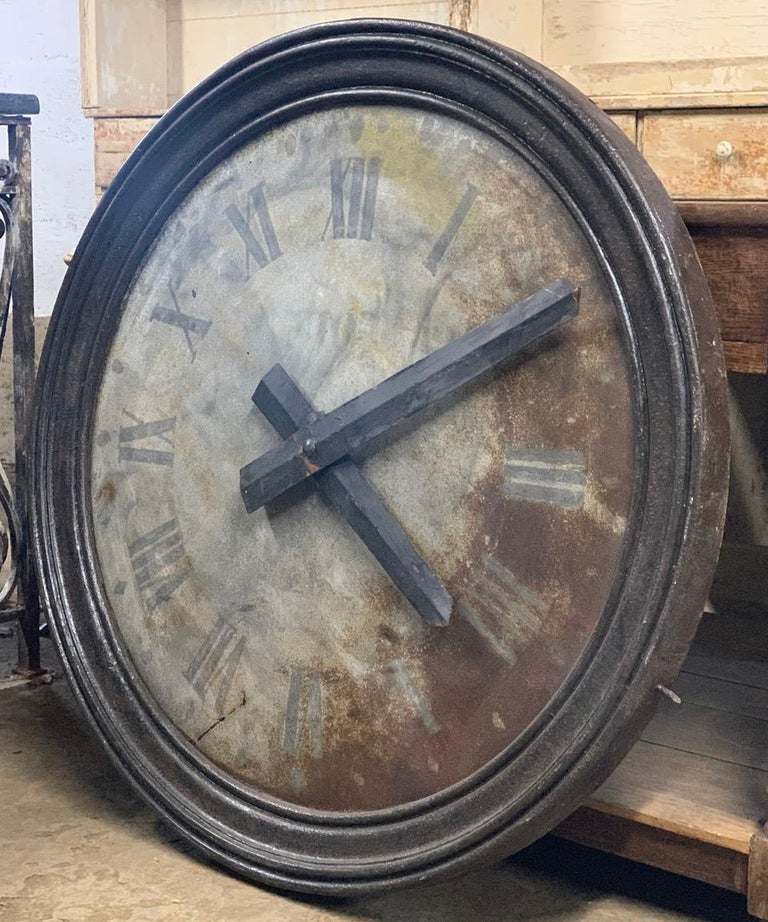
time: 4:10
